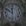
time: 11:49
